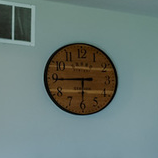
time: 5:44
